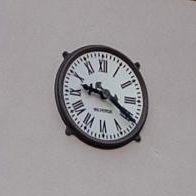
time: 9:20
